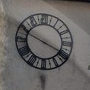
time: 3:48
